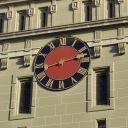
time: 2:42
